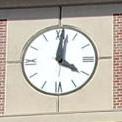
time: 4:01
